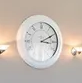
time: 3:10
